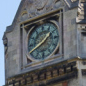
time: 1:40
